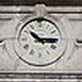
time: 10:15
